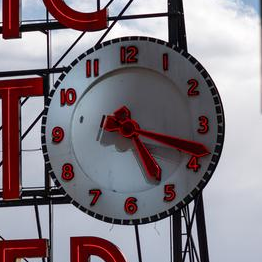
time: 5:18
